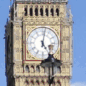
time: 5:01
